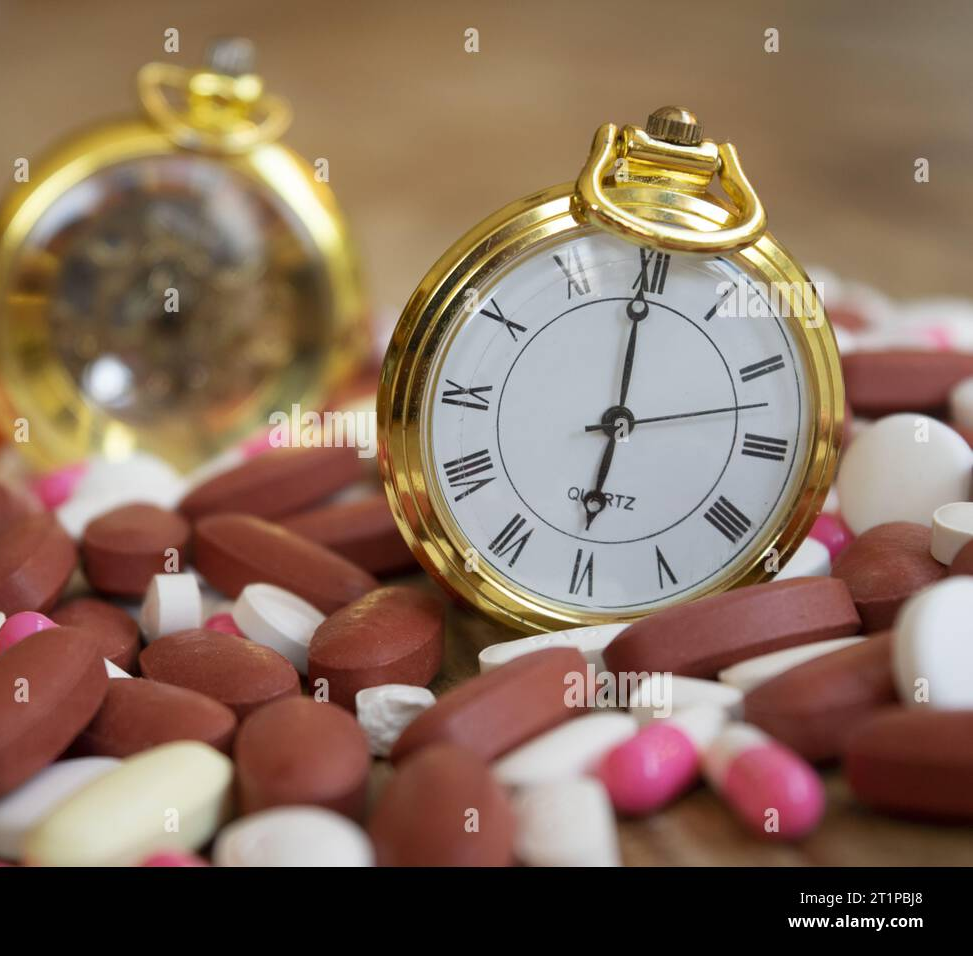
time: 5:59
